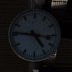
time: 4:46
